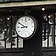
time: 8:49
